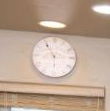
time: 5:54
